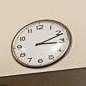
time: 3:11
